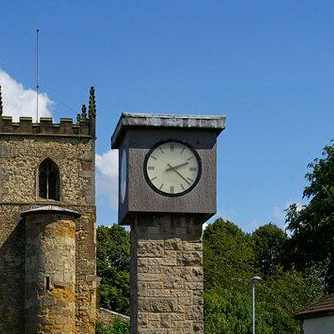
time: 2:21
